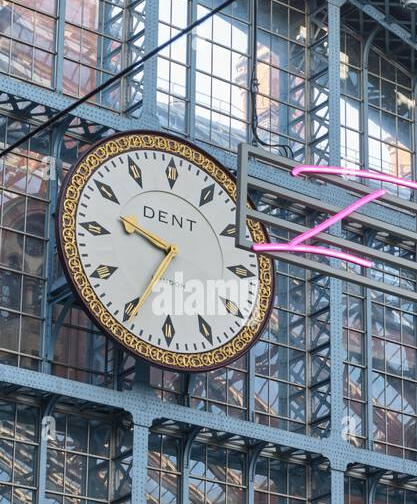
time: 9:34
